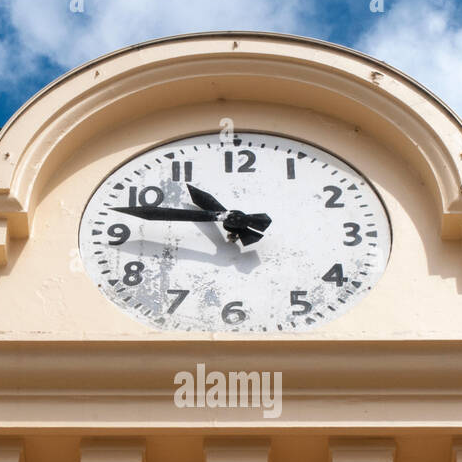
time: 10:47
